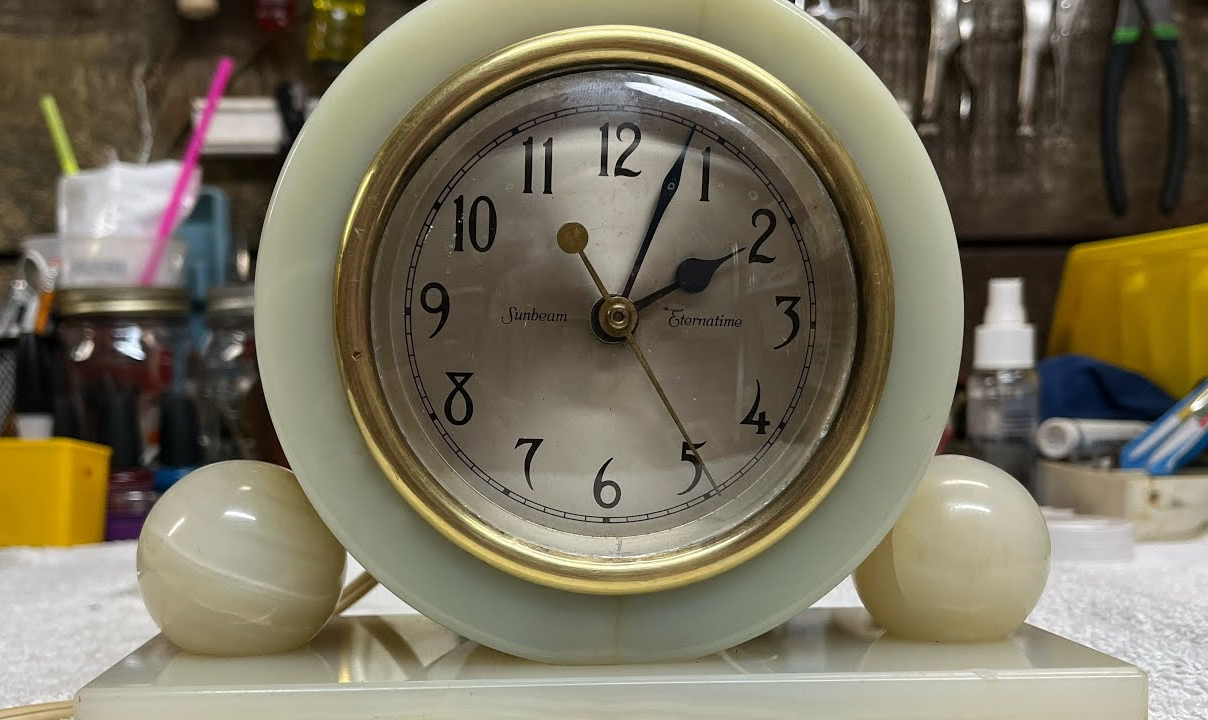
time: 2:03
